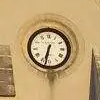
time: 6:32
